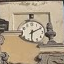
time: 6:10
